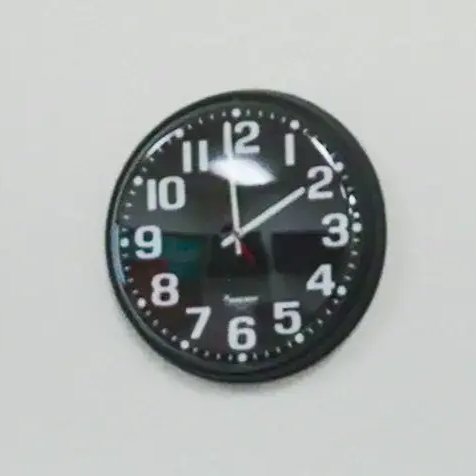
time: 12:09
